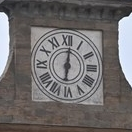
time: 6:01
